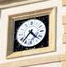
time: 4:36
